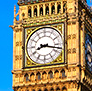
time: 8:17
